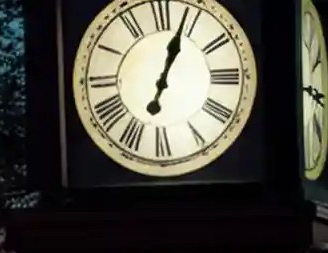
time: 1:03
